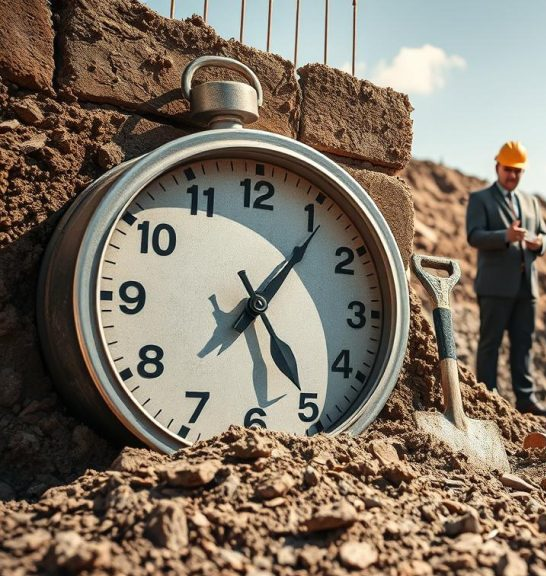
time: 5:06
